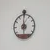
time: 5:59
